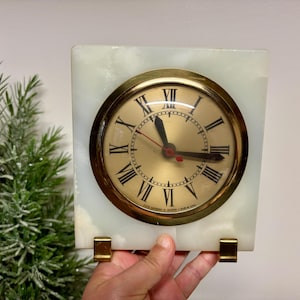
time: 11:15
